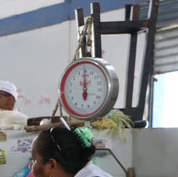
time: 5:59
